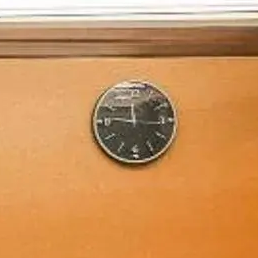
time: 11:46
